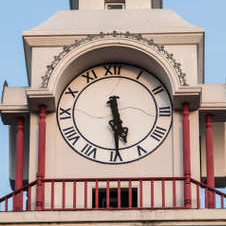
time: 5:29
